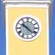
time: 10:21
